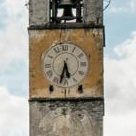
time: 5:32
